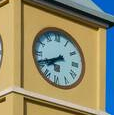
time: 7:41
